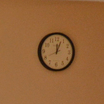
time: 12:03
